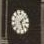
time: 1:26
